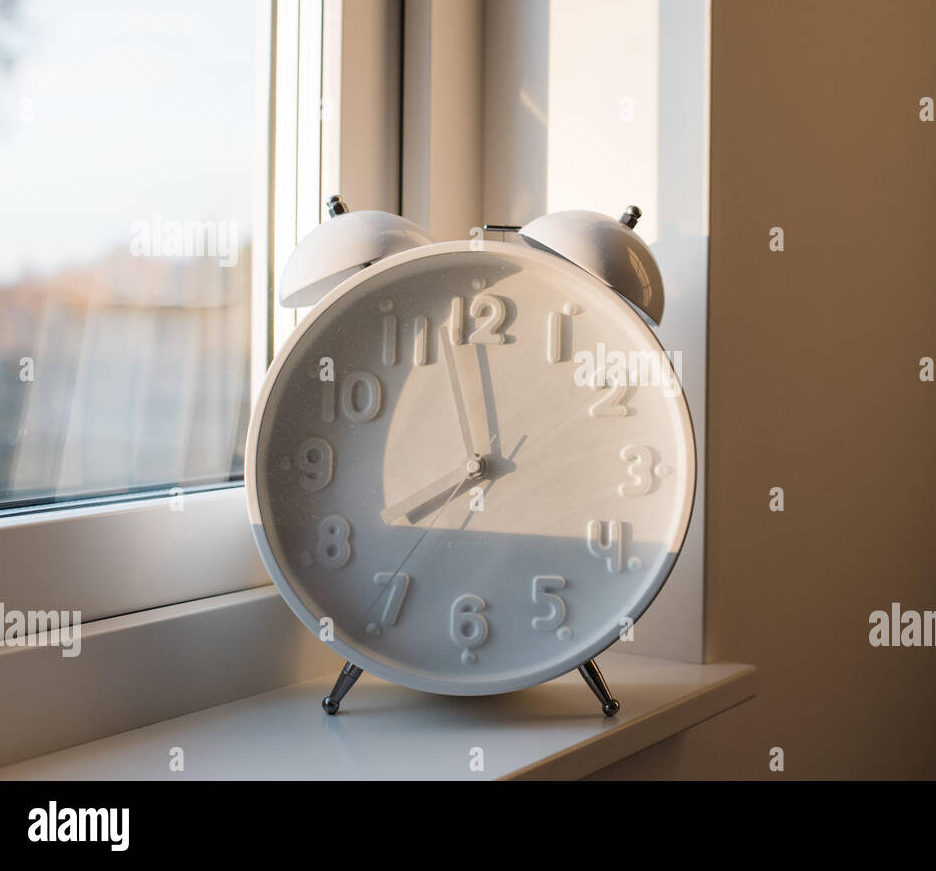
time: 7:59
